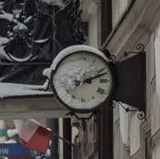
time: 2:11
